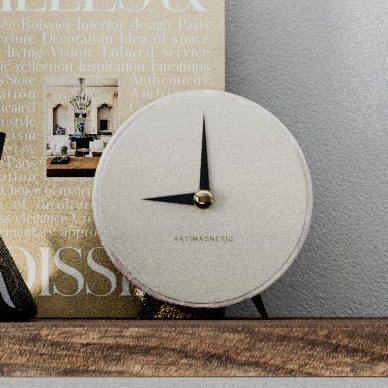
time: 8:58
